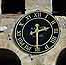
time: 2:29
